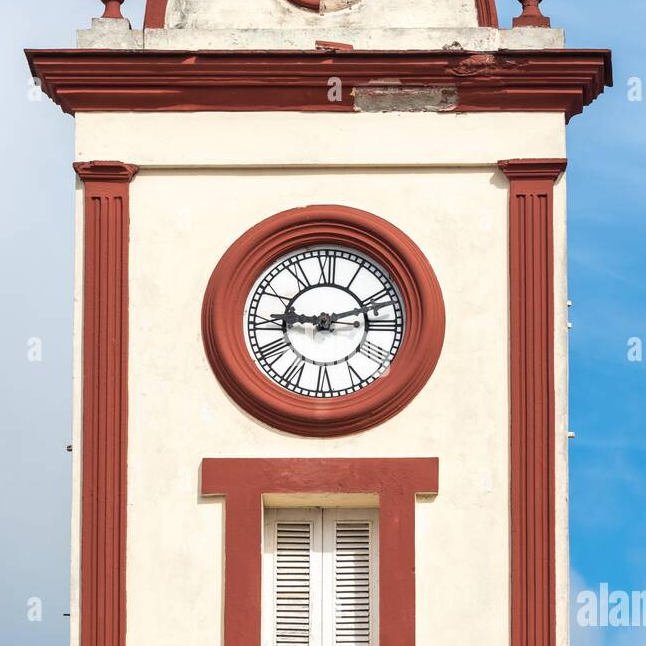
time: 9:11
